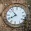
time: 7:52
